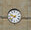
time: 9:38
